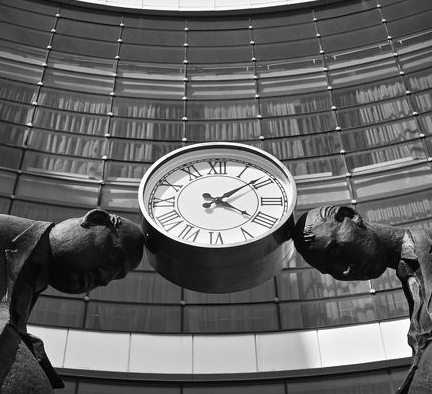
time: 4:09
